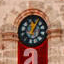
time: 12:05
